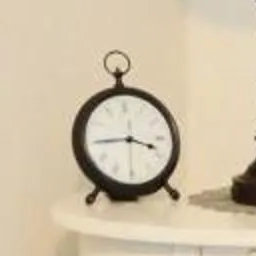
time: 3:44
